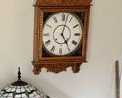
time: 5:02
